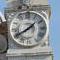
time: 1:40
